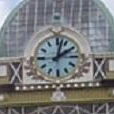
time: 2:02
